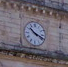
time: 10:18
